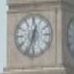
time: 12:33
